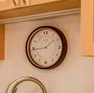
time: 1:43
